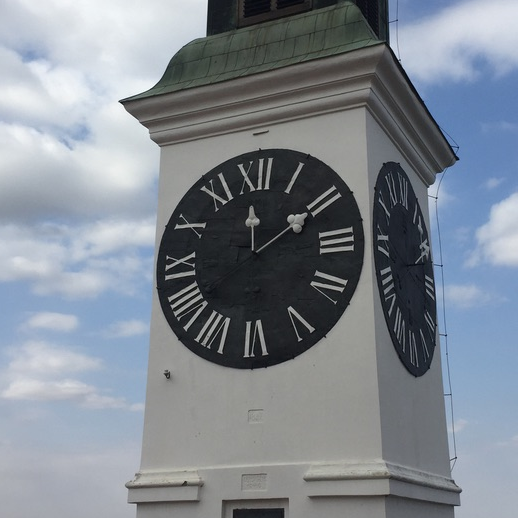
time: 12:09
